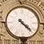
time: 4:22
